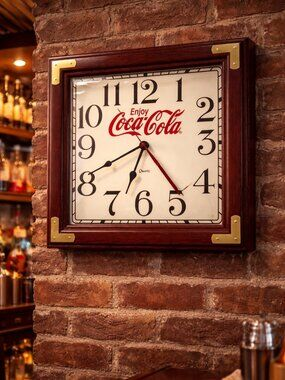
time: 6:40
